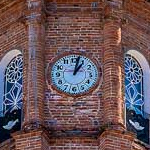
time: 1:02
